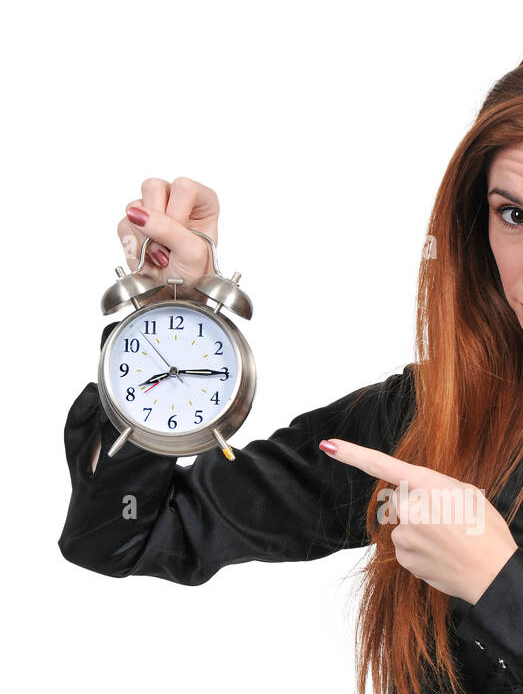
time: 8:14
